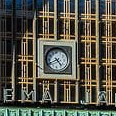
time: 4:41
